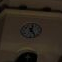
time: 12:24
